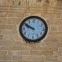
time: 9:50
